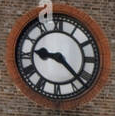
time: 9:22
